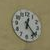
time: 12:22
